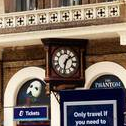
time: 1:32
